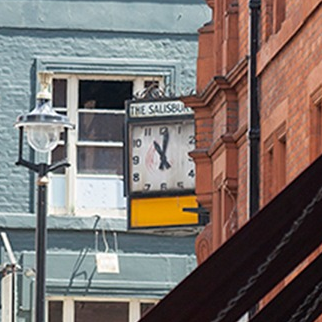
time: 11:02
